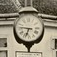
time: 6:46
